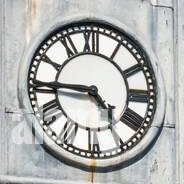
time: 4:45
